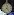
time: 12:23
